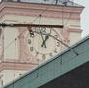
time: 12:57
